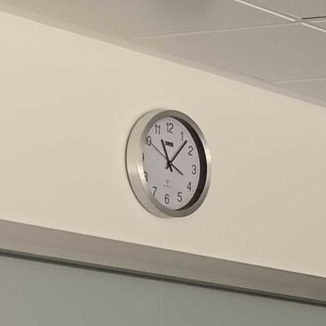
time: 11:07
